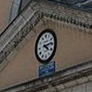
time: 4:13
